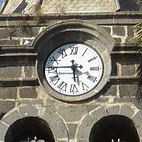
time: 5:45
